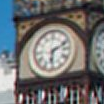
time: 6:11
